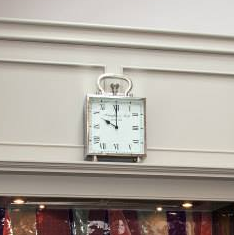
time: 10:00
